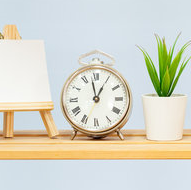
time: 12:57
